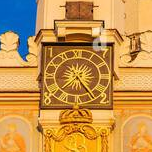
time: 7:24
